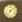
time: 7:08
